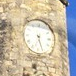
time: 5:26
